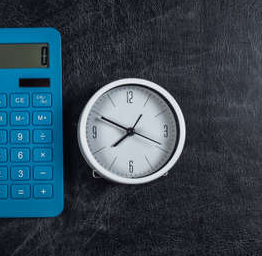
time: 7:49
